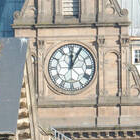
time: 12:04
